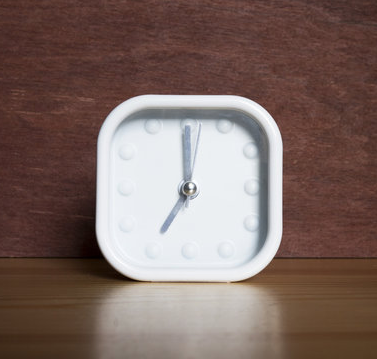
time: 7:00
